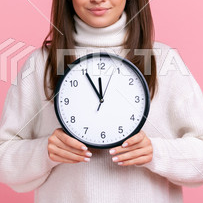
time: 11:54
